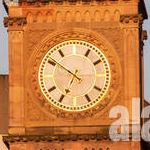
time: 6:50
